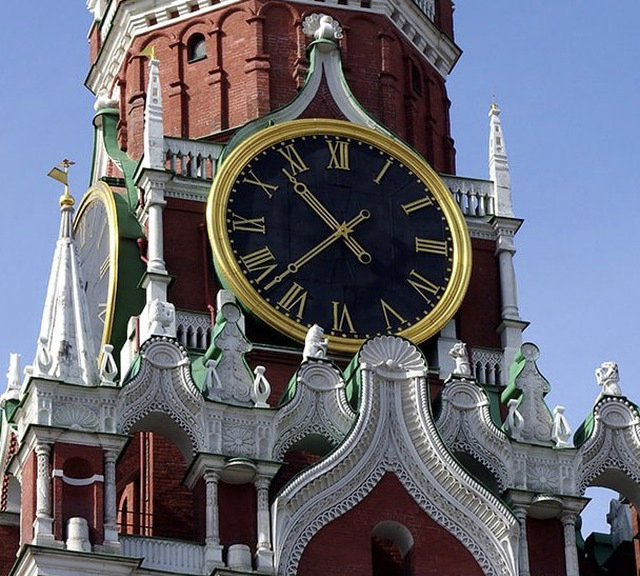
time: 10:37
